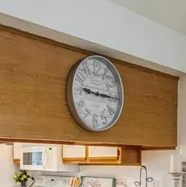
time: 9:15
